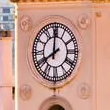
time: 7:59
